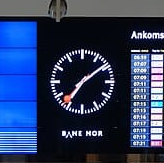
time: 7:09
